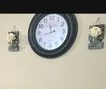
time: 11:42
